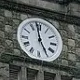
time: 4:58
